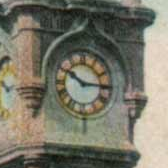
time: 10:14
